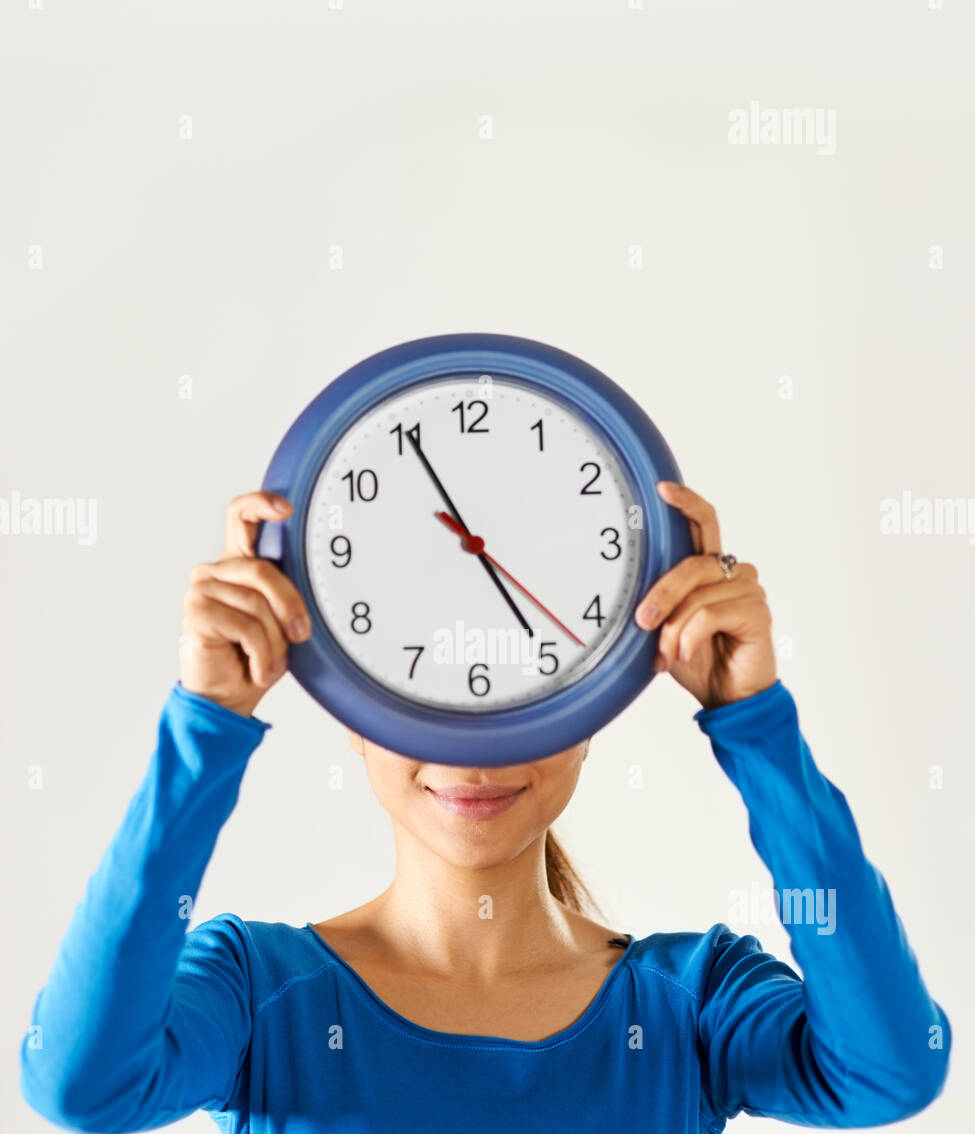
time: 4:55
